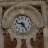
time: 9:25
